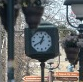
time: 12:40
